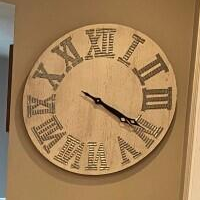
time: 4:20
